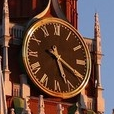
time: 5:19
